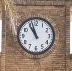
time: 10:57
